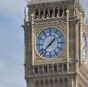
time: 1:37
